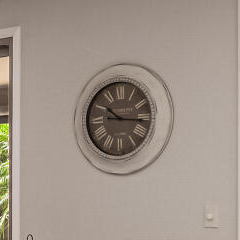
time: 10:15
